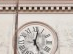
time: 5:02
